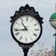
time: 10:43
